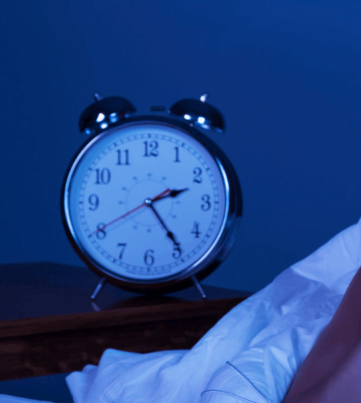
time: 2:24
